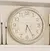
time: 6:25
